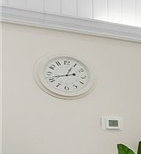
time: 12:42
